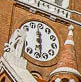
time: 5:58
